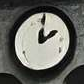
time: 2:01
